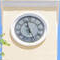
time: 11:25
